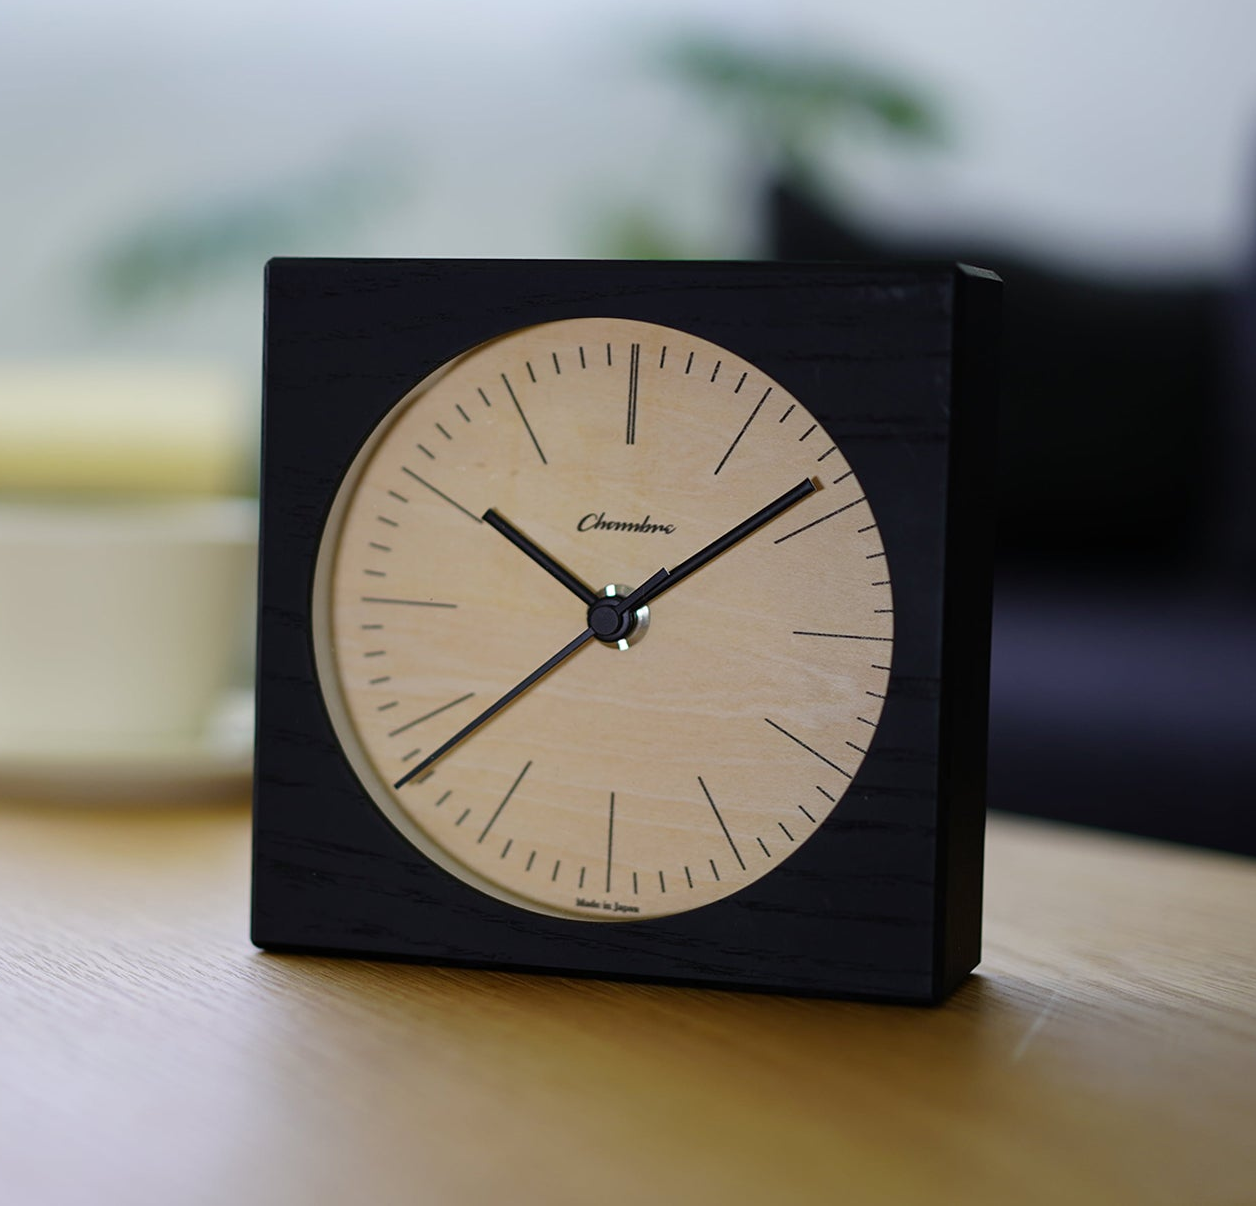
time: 10:08
